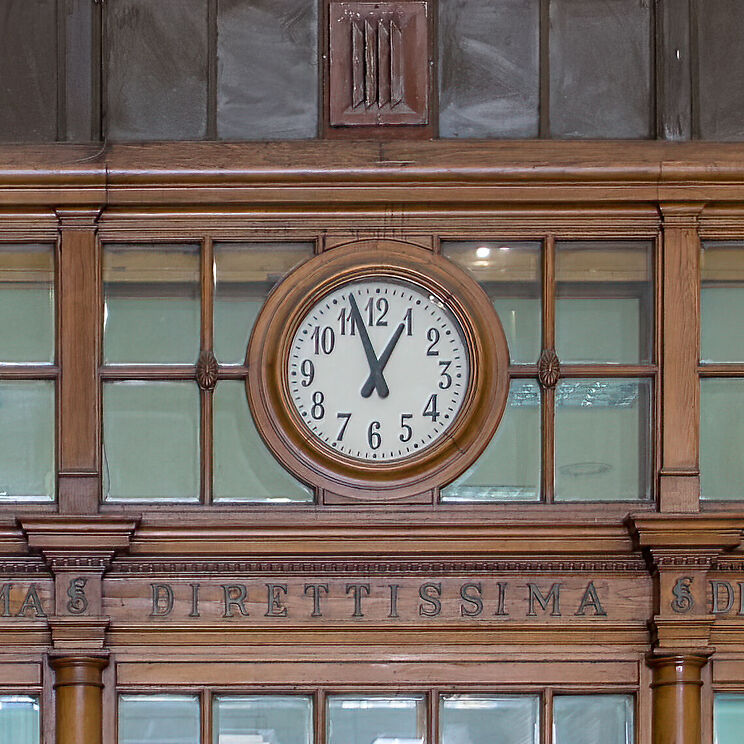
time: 12:56
